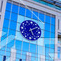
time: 5:09
